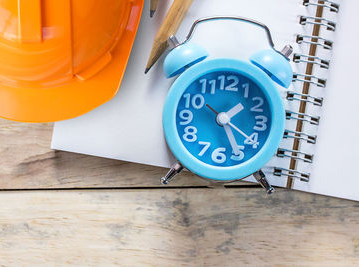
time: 1:25
